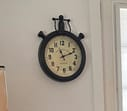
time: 11:11
